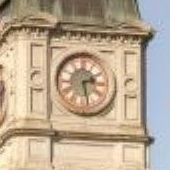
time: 2:28
